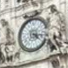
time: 4:16
